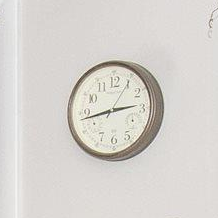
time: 2:43
